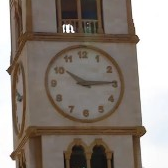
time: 10:14
